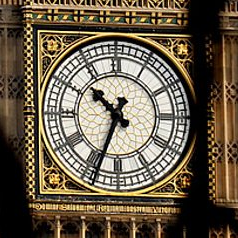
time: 10:33
